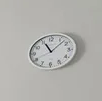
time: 11:07
